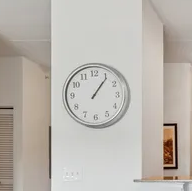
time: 1:06
